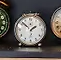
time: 1:52
